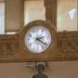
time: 2:21
